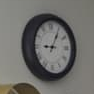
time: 9:05
